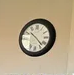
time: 10:22
